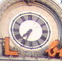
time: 7:33
